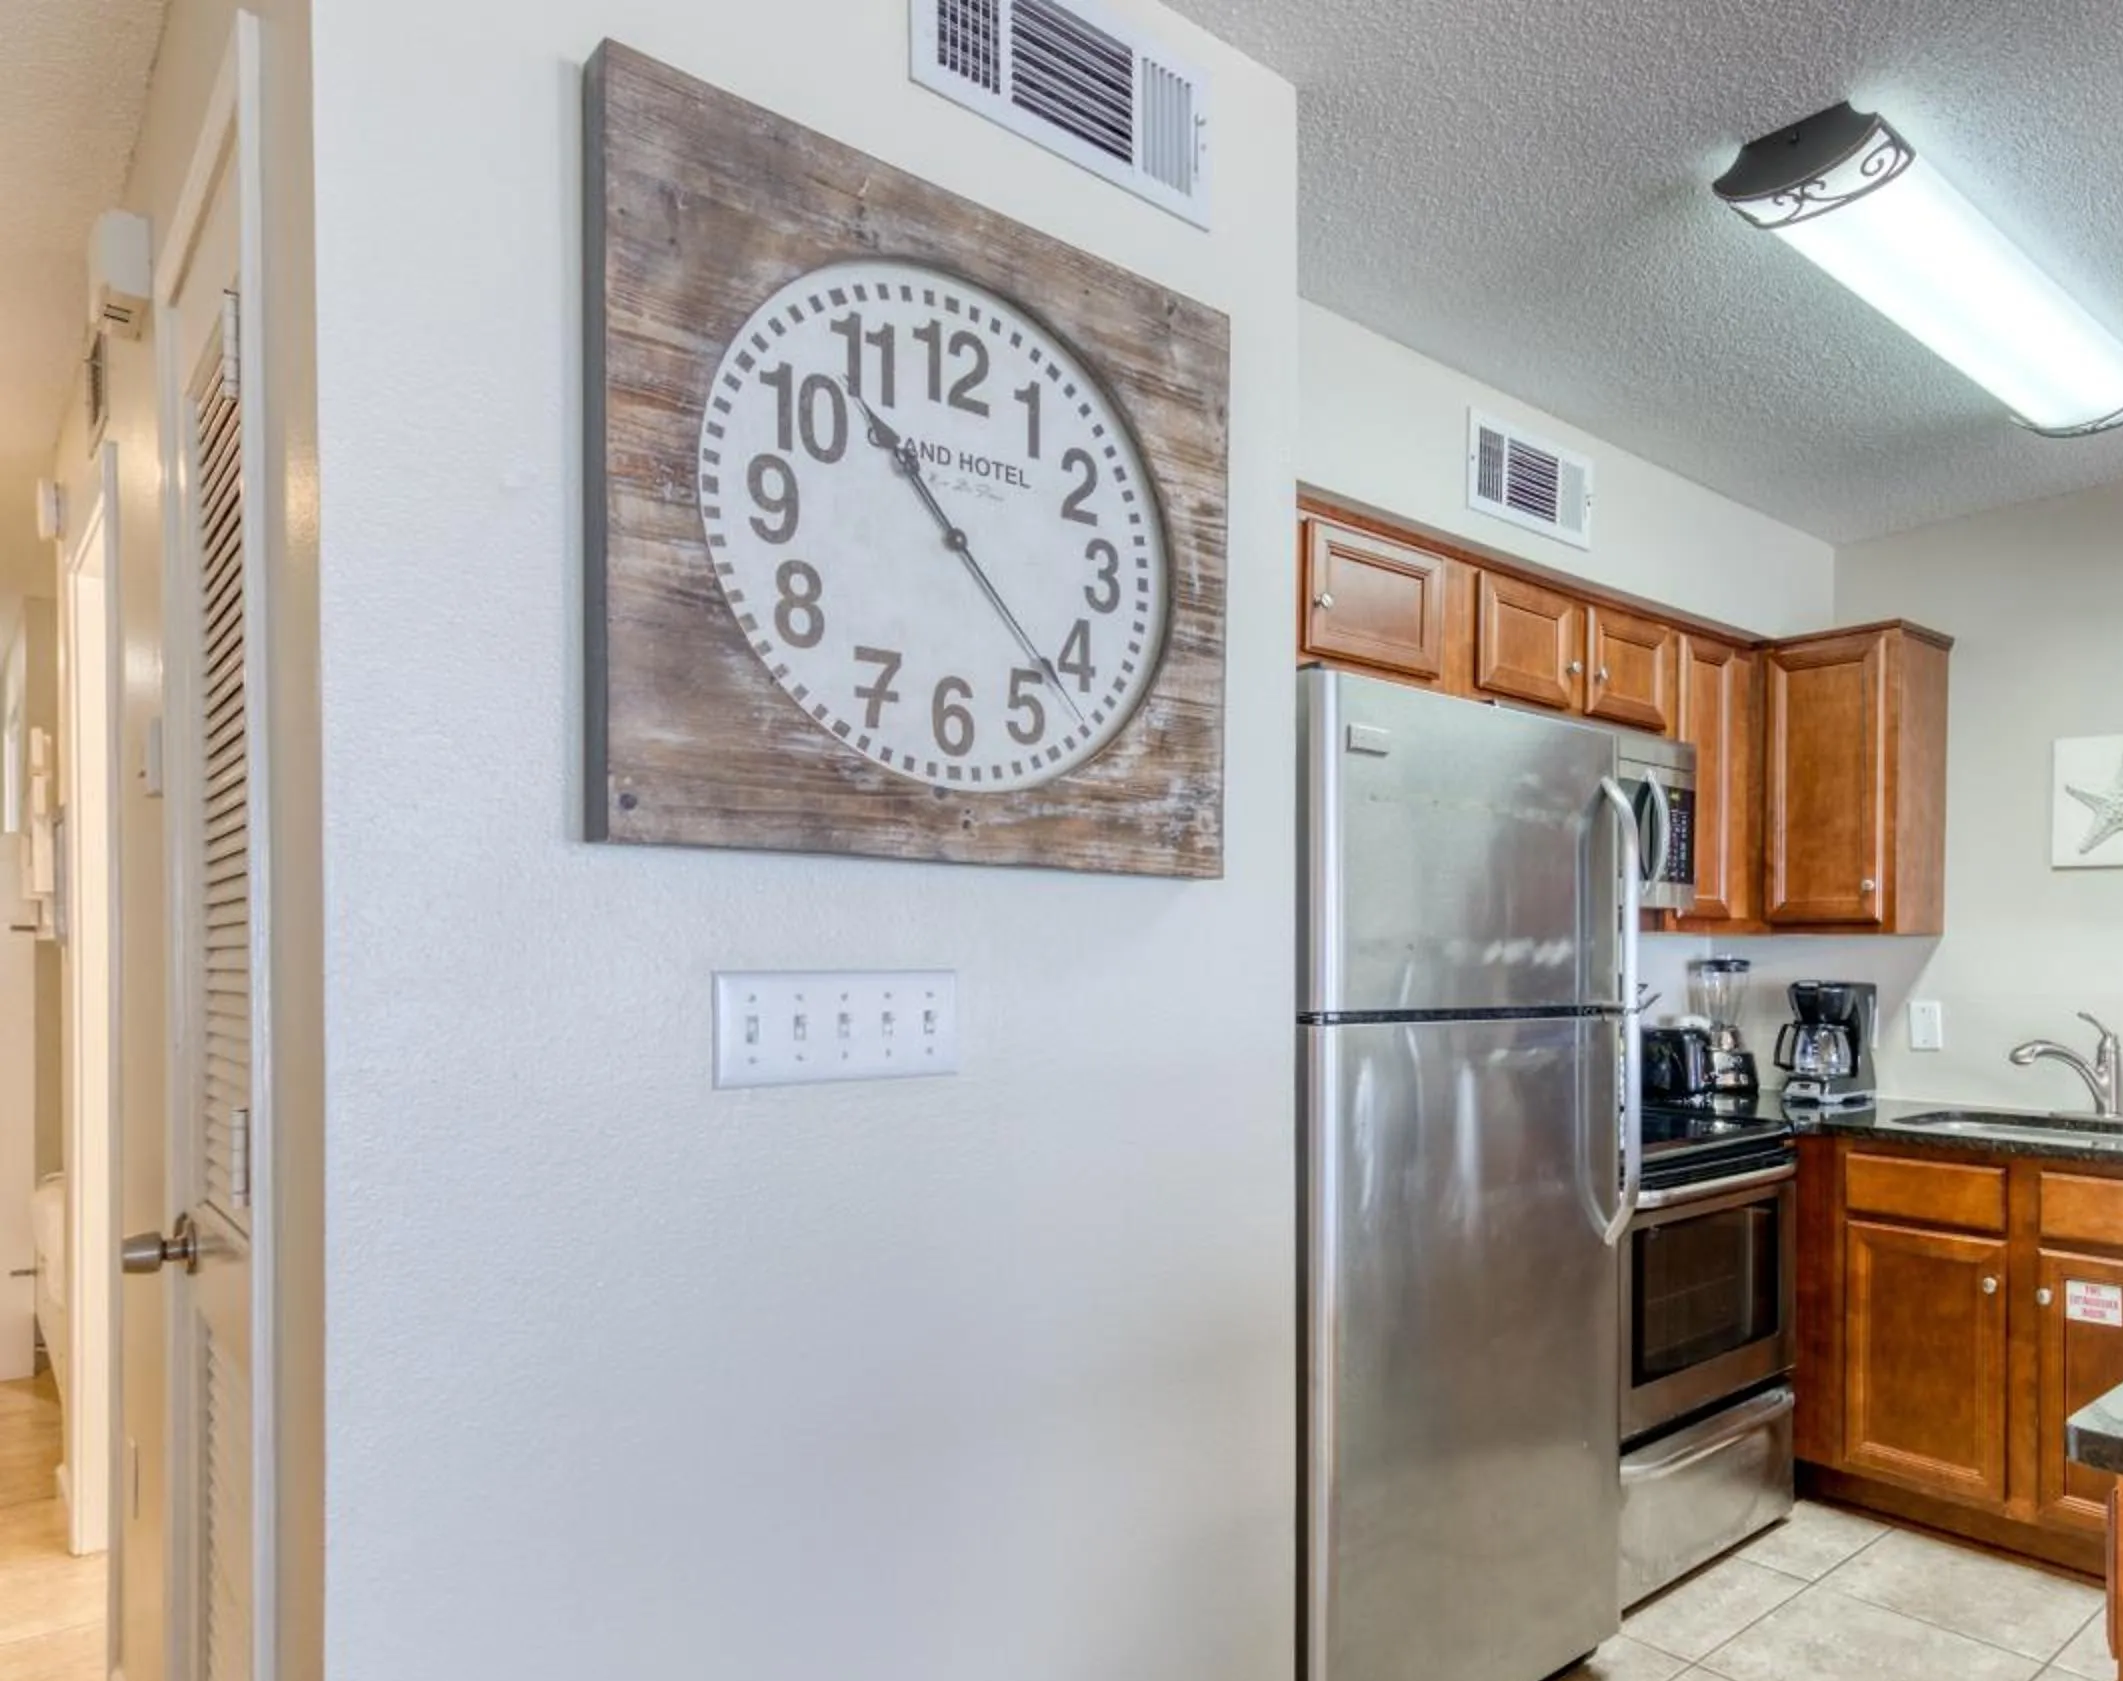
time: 10:22
